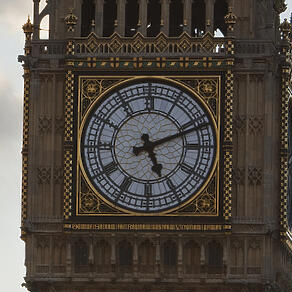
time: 5:11
